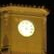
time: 4:02
